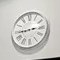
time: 2:44
